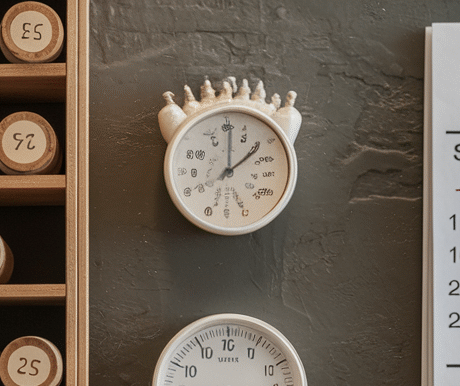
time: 2:01
